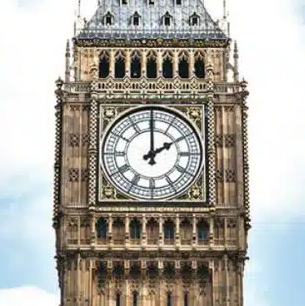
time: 2:00
